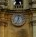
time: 12:33
